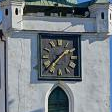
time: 1:37
